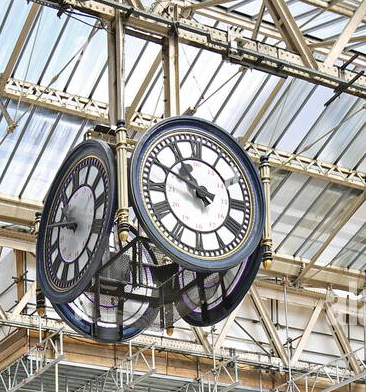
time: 10:49
